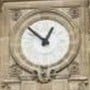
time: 12:52
